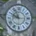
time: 9:56
